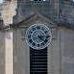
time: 4:14
